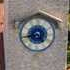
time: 4:42
